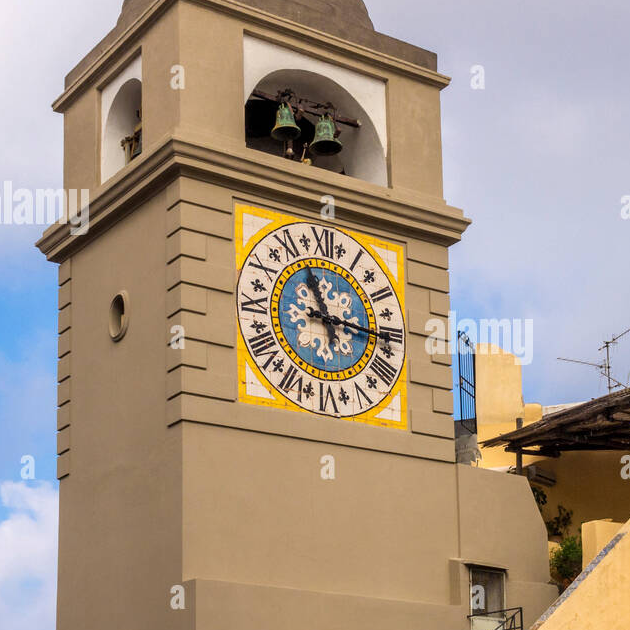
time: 11:14
